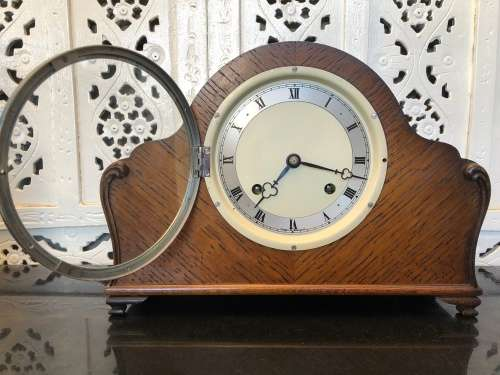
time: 7:17
